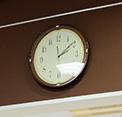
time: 2:09
